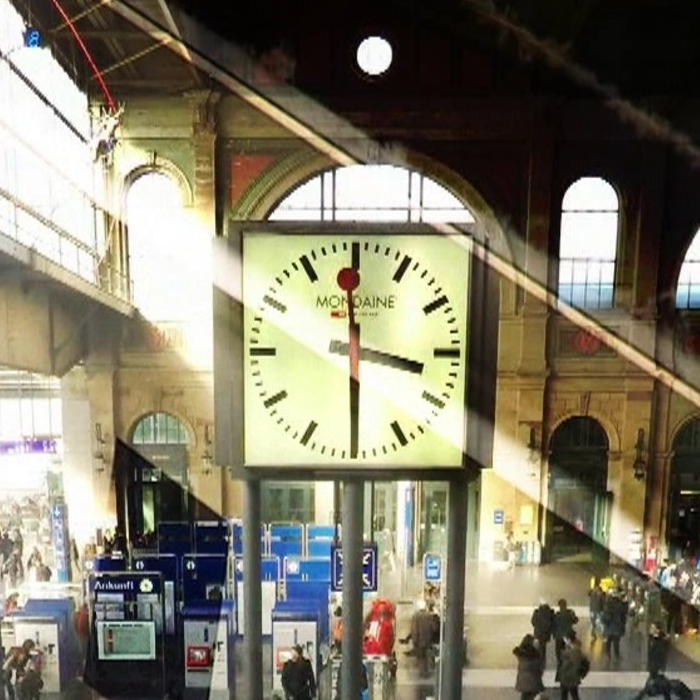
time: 3:29
